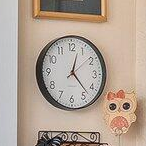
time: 12:23
